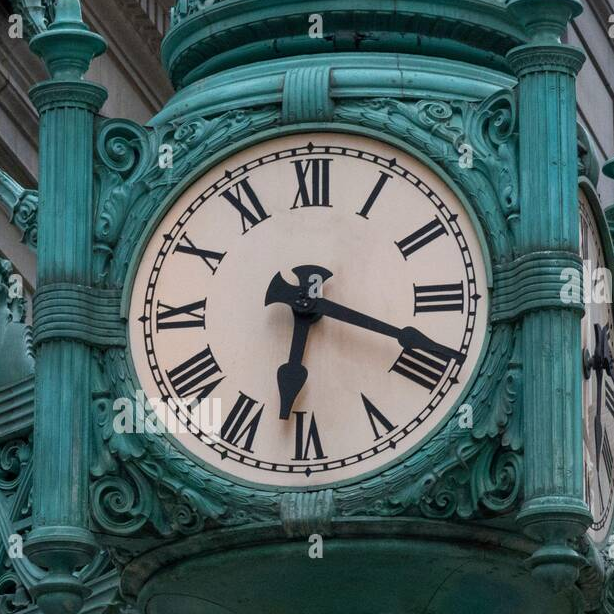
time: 6:18
